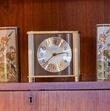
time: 2:37
